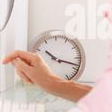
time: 10:17
